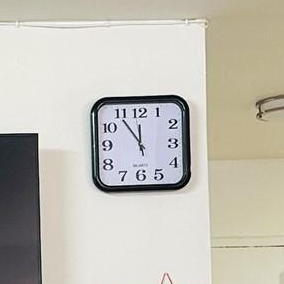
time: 11:54
